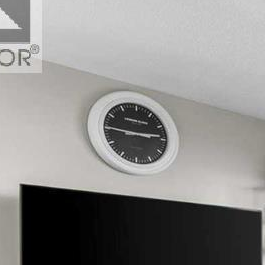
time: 2:45
